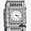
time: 3:22
